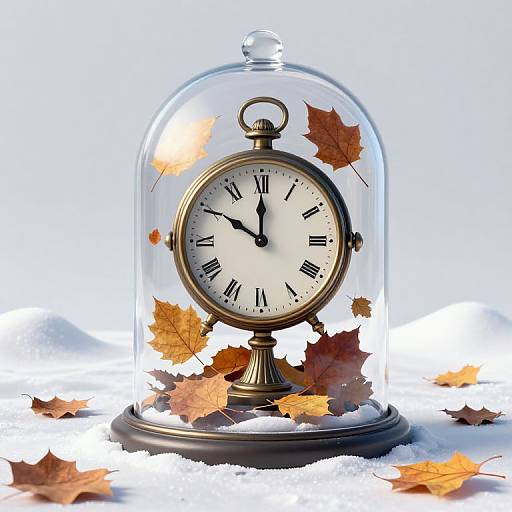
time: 10:00
